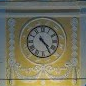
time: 4:24
